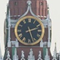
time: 2:27
